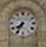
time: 7:34
